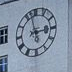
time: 2:57
